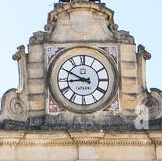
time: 8:49
